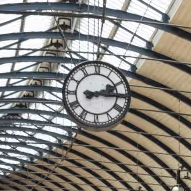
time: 2:15
